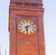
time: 6:08
